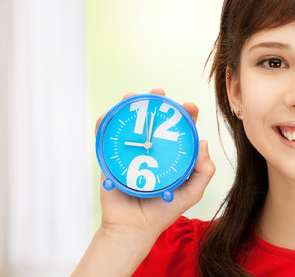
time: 8:59
